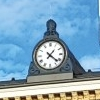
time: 1:21
